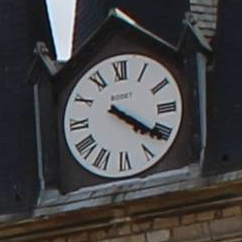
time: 4:20
